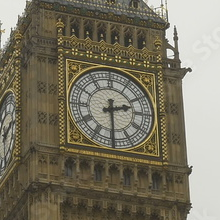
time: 2:29
